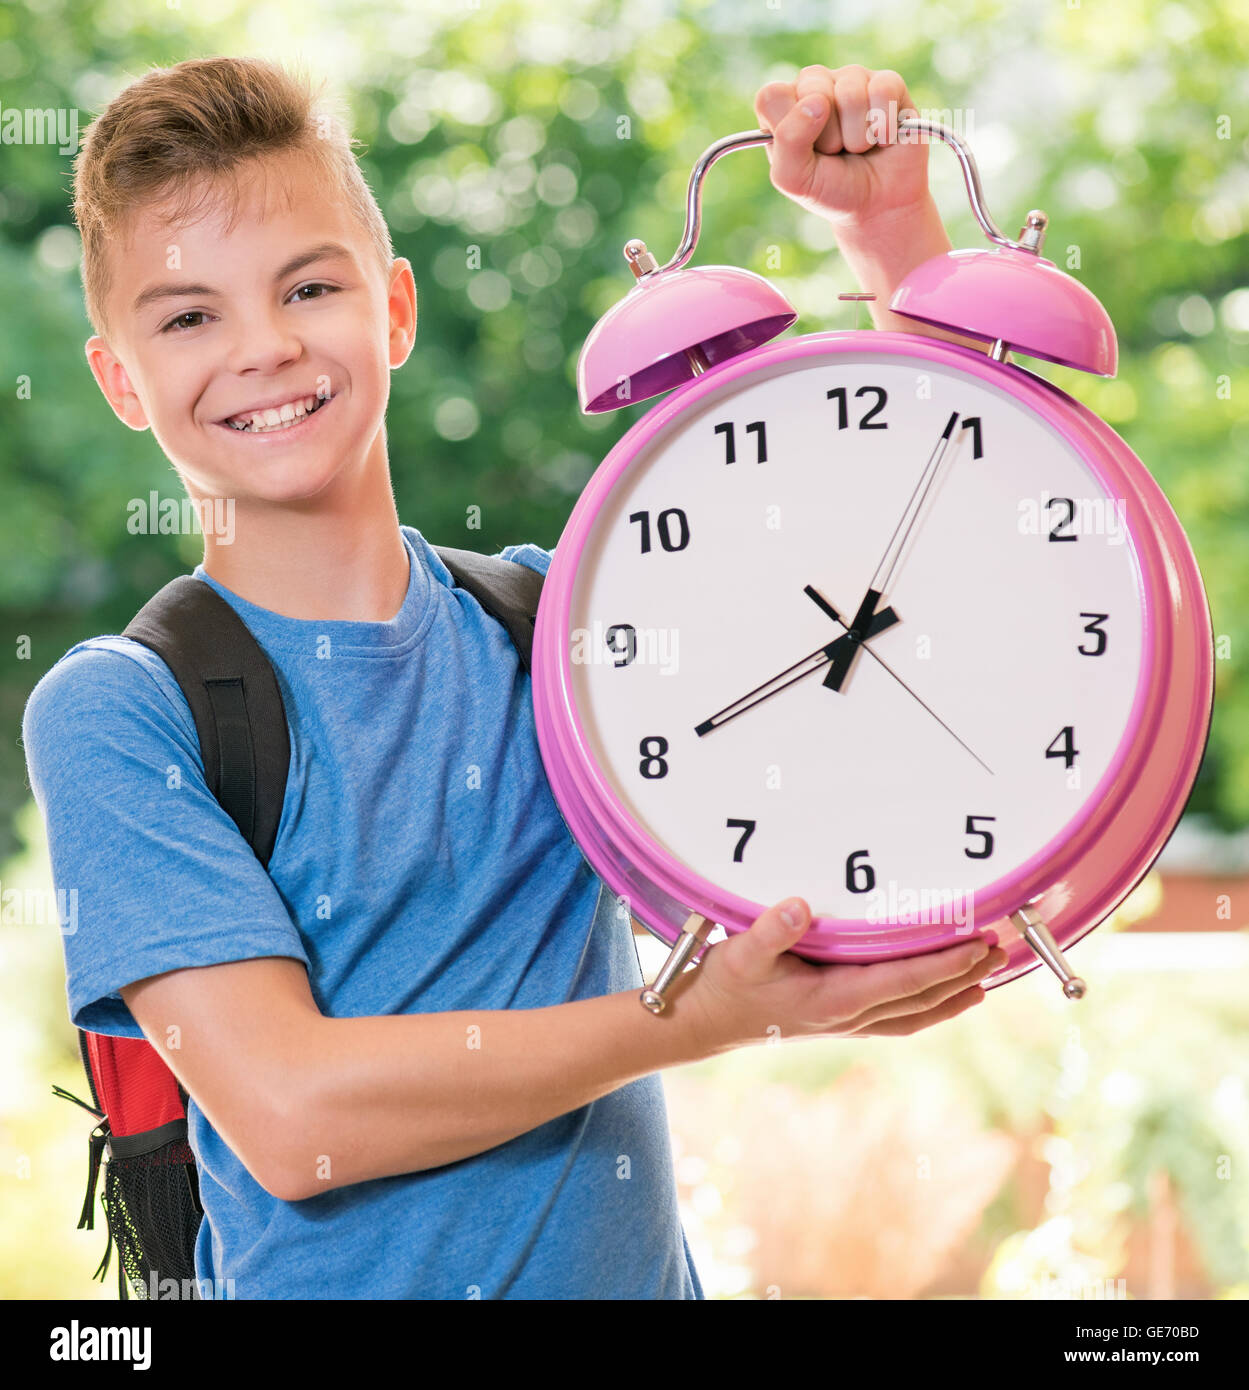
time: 8:04
